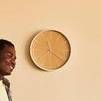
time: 11:20
